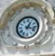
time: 1:17
